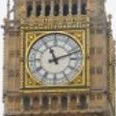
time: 11:11
